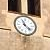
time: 11:22
